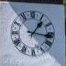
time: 1:16
